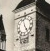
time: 4:57
